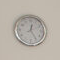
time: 12:24
